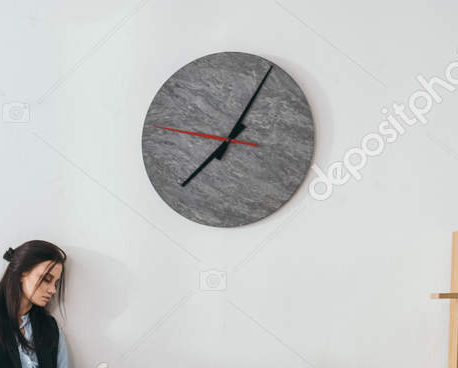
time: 7:04
